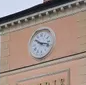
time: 10:17
